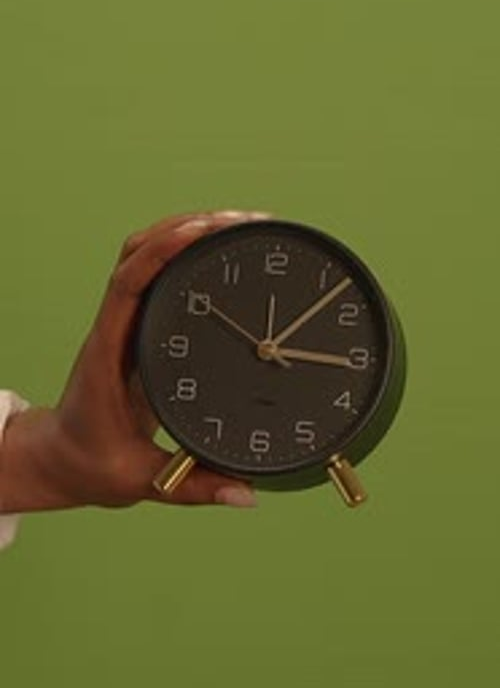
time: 3:07
